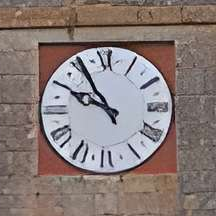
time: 9:54
